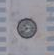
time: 10:38
